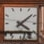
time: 4:08
